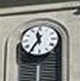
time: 11:35
